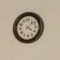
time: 4:07
